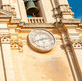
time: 8:12
